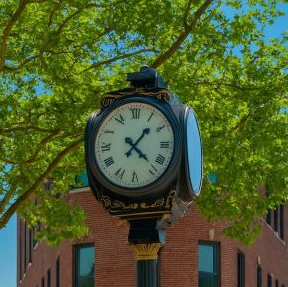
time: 1:22
